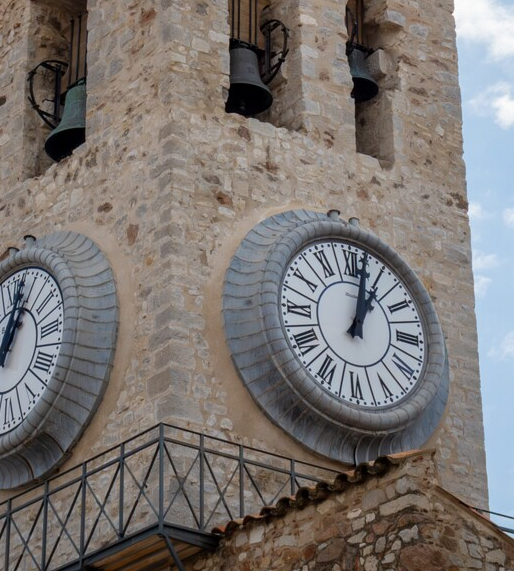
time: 1:02
